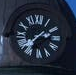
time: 2:37
